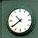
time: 10:39
